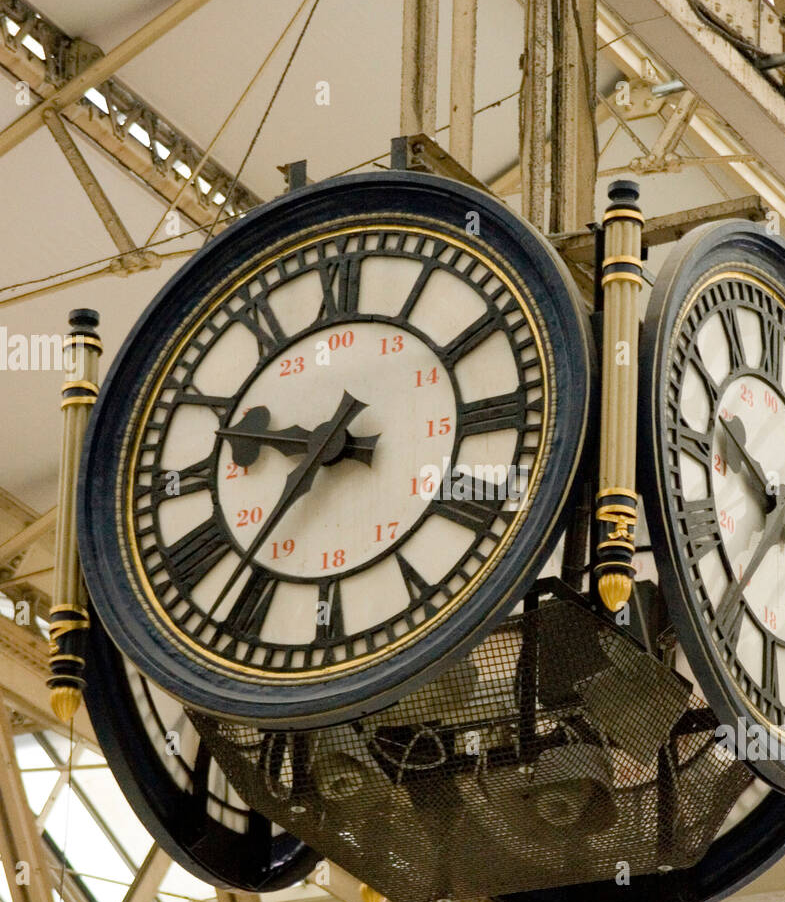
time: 9:36
